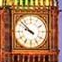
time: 9:52
